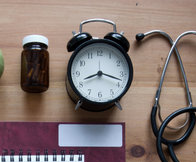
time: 8:18
